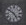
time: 4:50
